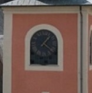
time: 1:20
